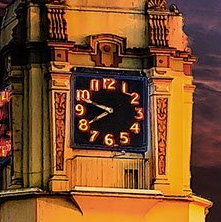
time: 7:48
